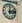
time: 12:13
